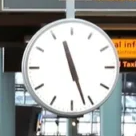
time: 11:26
